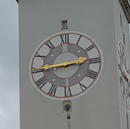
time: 2:44
